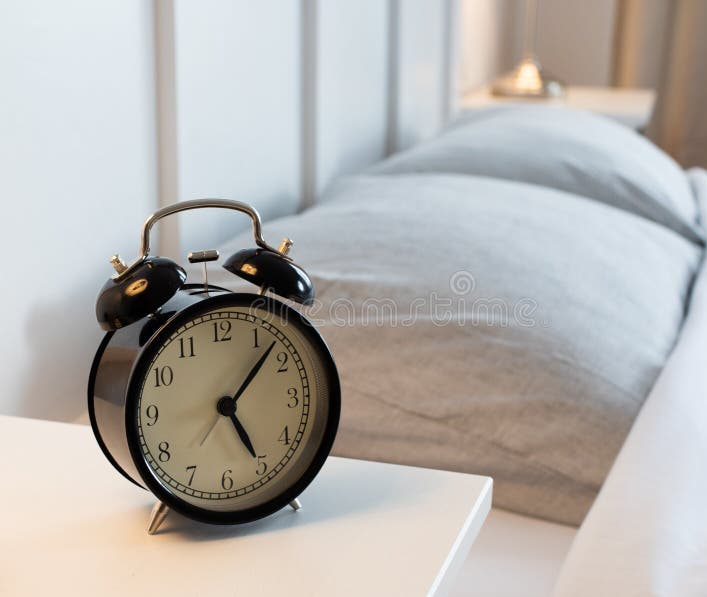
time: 5:07
